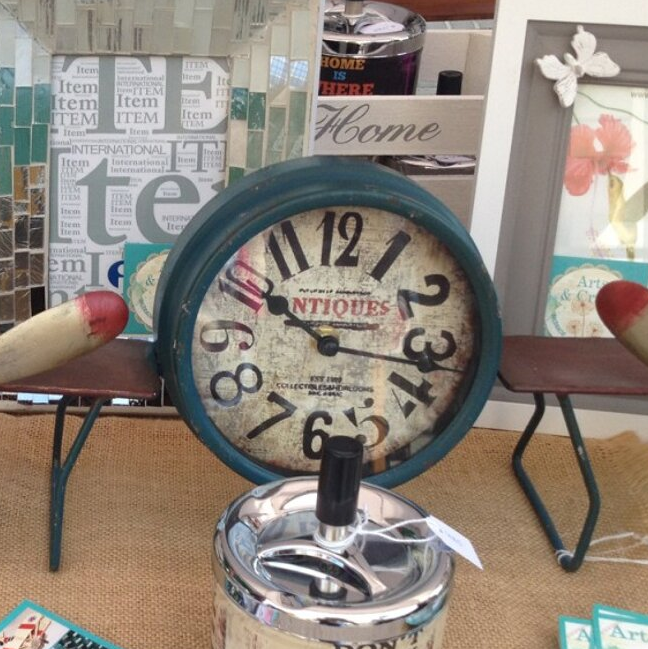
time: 10:16
